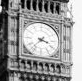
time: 3:37
